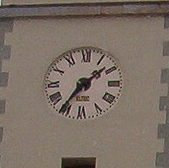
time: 1:36
